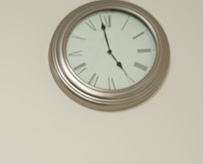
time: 4:58
